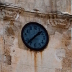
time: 1:37
